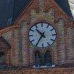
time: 10:35
